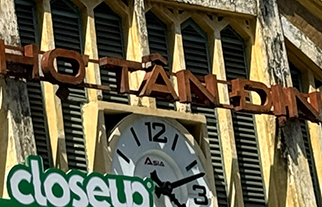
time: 4:12
